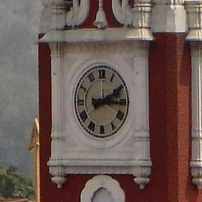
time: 2:15
